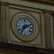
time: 7:11
